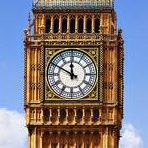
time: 11:49
